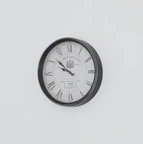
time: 9:51
